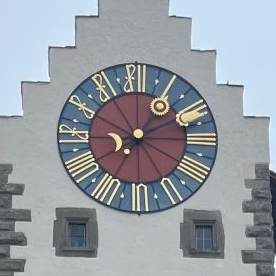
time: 1:10
